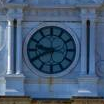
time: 9:40
